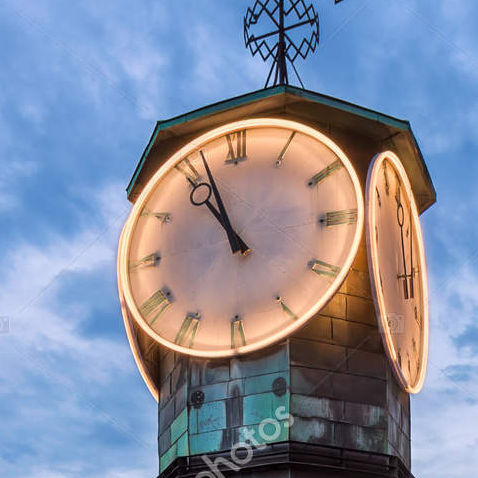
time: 10:56
